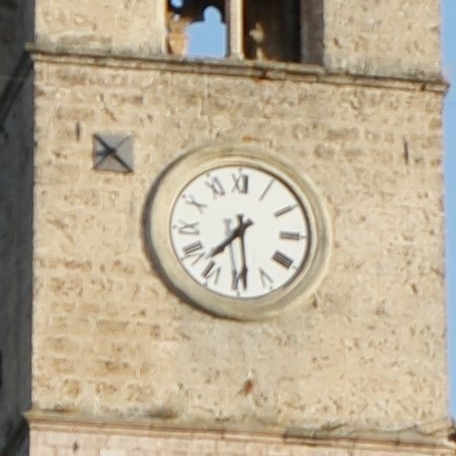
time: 7:28
